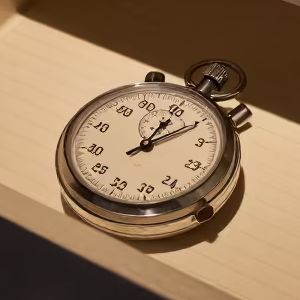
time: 1:10
